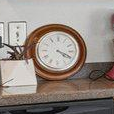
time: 4:19
